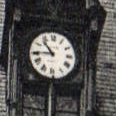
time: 10:44
